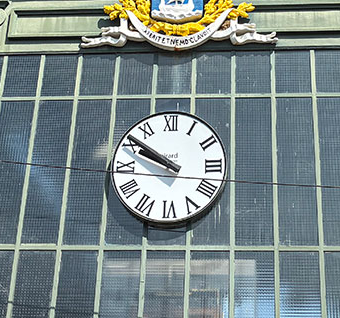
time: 9:50
